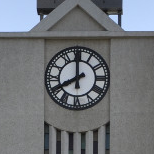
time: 7:59
